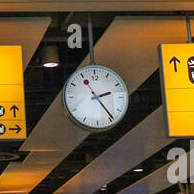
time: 2:23
